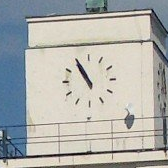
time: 10:55
